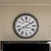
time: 8:09
